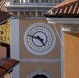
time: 4:47
